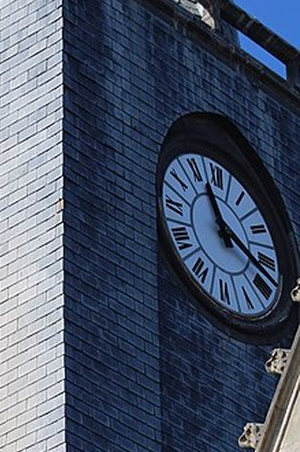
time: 11:17
